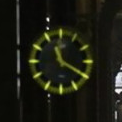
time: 11:19
